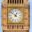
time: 12:52
